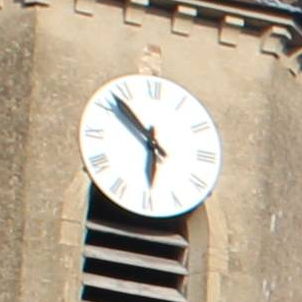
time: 5:51
